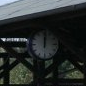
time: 12:01
